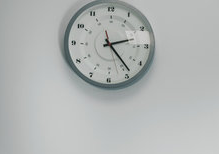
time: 2:23
